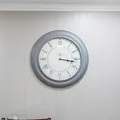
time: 3:17
